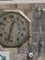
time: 12:32
